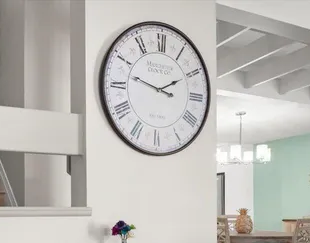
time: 1:47
